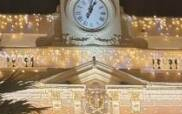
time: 1:02
